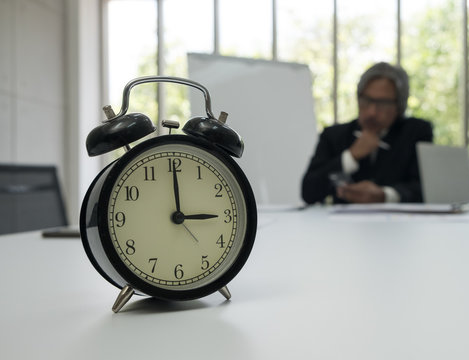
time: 2:59
